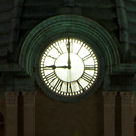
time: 8:59
